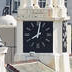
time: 8:01
